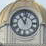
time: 11:02
